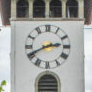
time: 2:40
